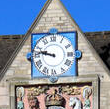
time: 9:47
